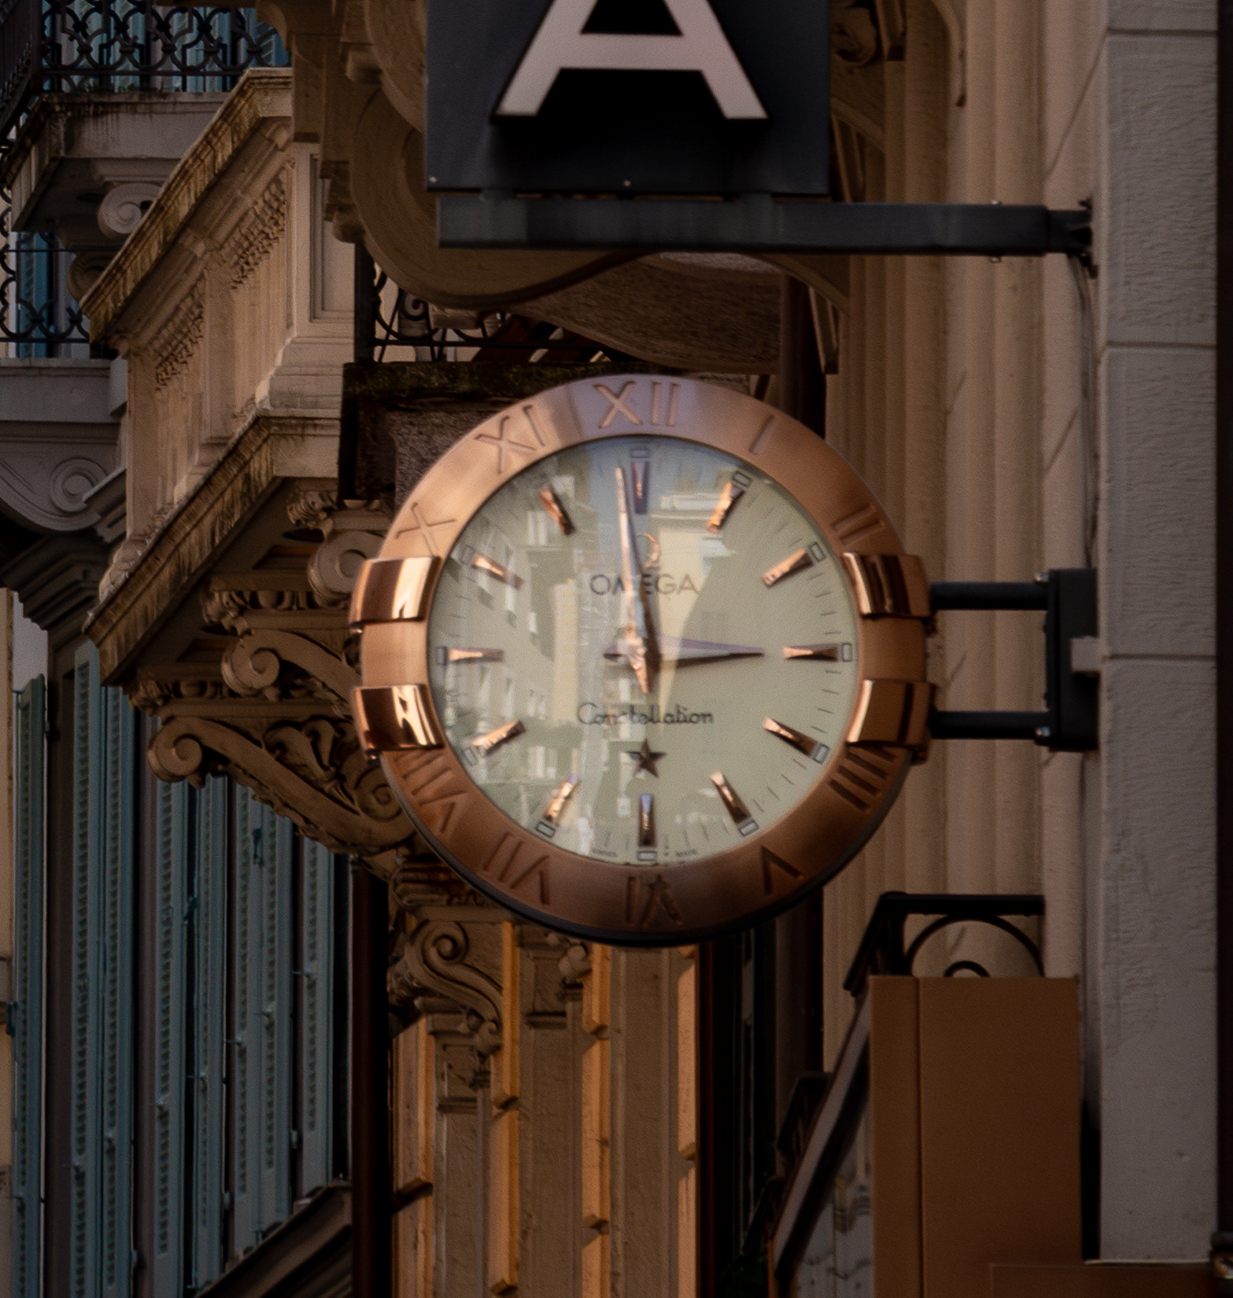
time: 2:59
